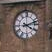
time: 4:12
